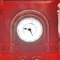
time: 9:25
